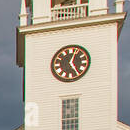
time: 12:24
